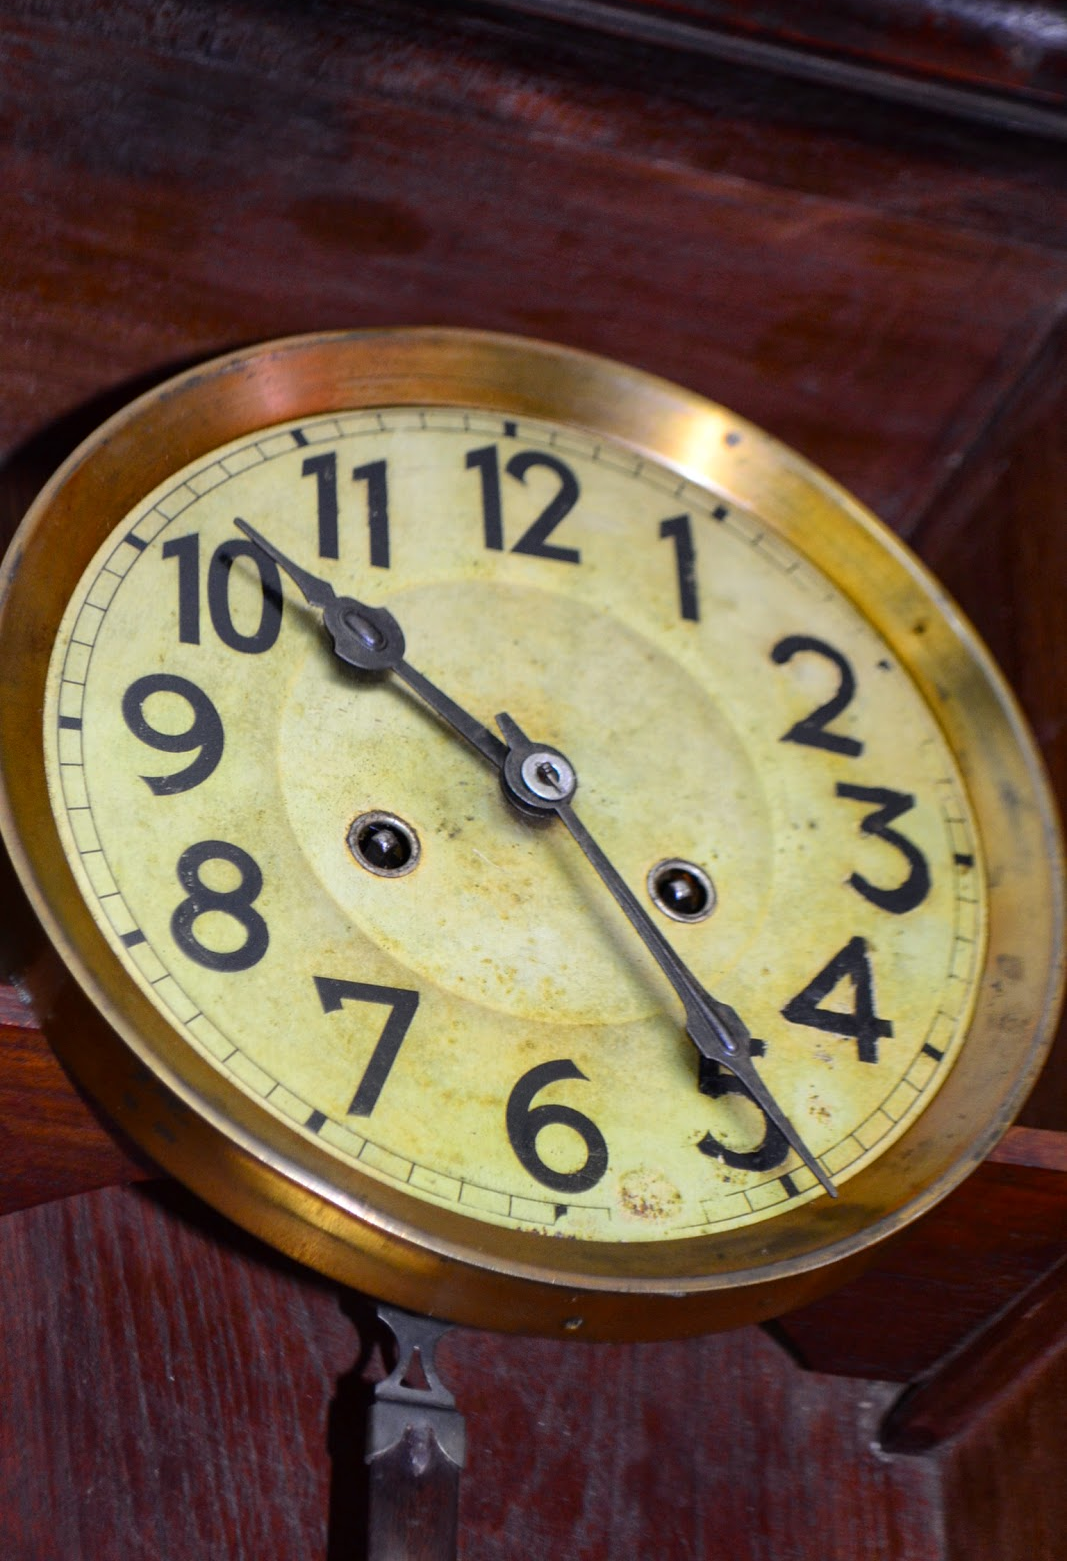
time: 10:24
